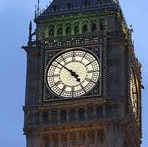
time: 4:51
